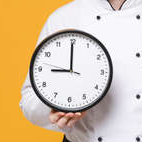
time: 8:59
